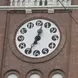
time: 7:02
